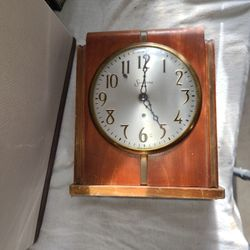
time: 5:00
